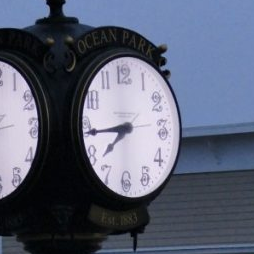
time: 7:44
